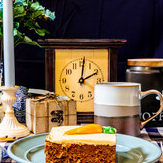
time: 2:01
